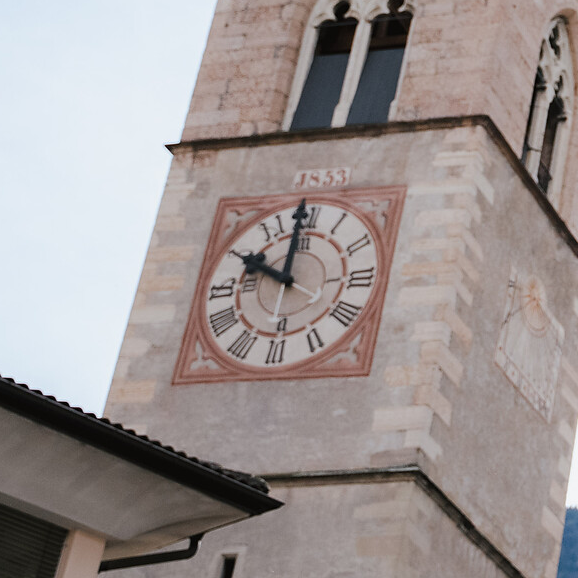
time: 9:59
